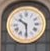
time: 10:29
